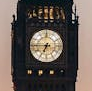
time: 6:44
